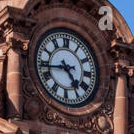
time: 4:43
